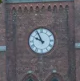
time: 9:55
